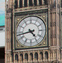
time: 4:43
